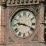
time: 9:18
